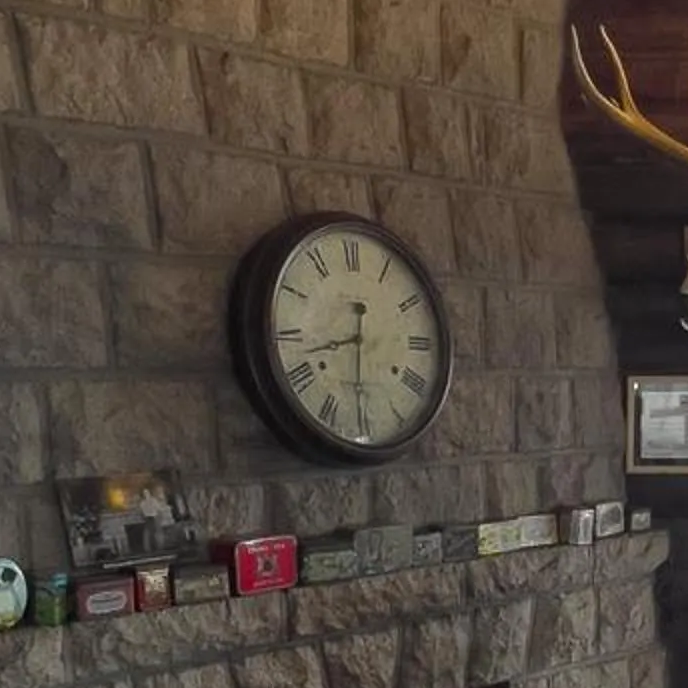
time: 8:30
